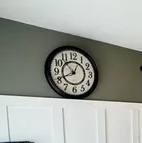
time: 12:53
